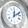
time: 12:10
